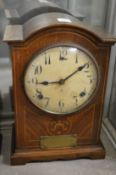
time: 9:09
